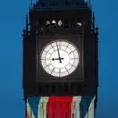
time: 8:57
